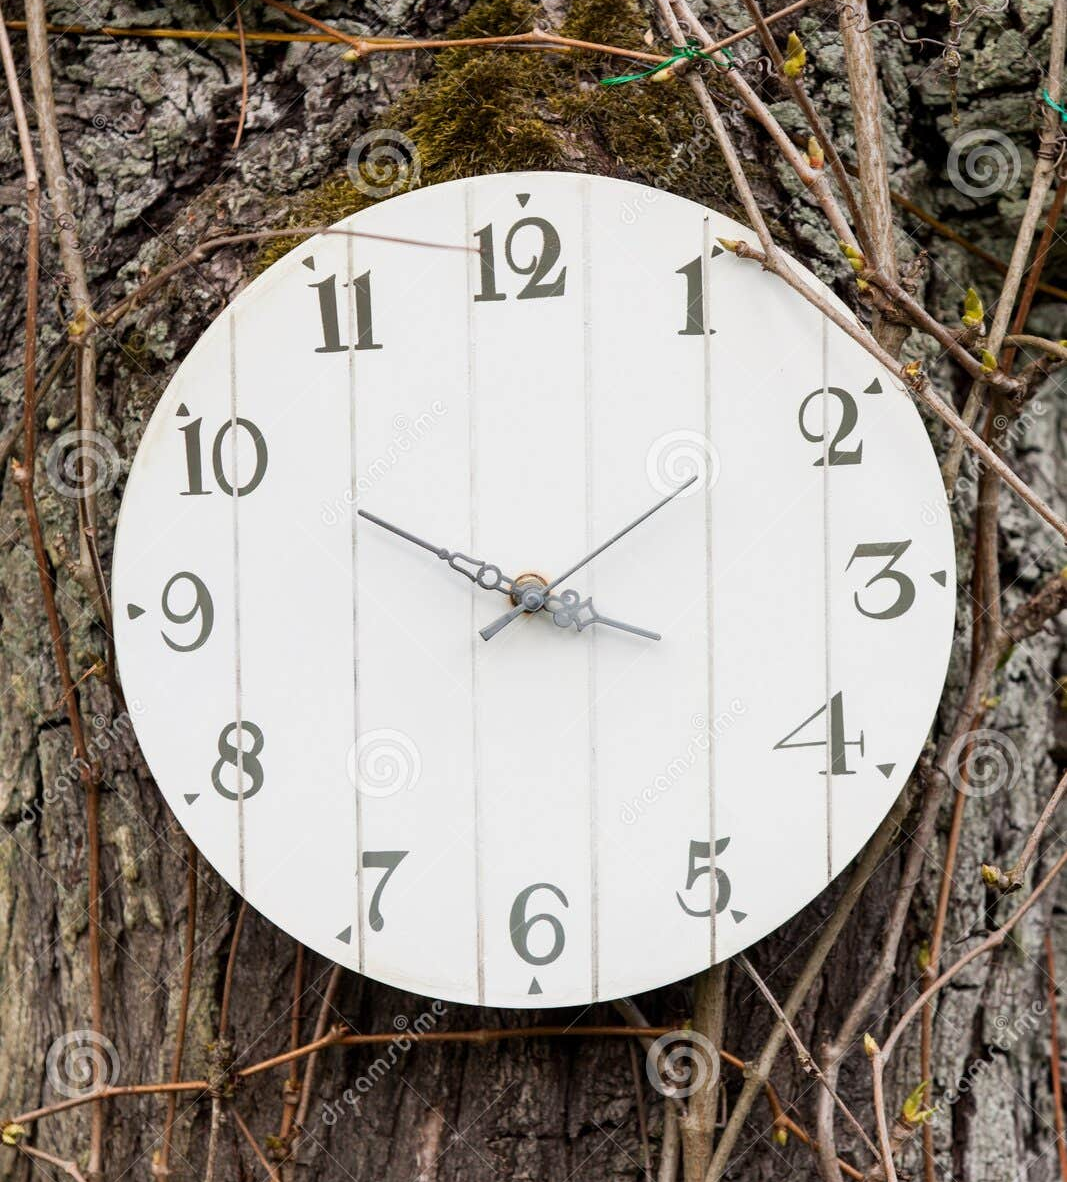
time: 1:49
